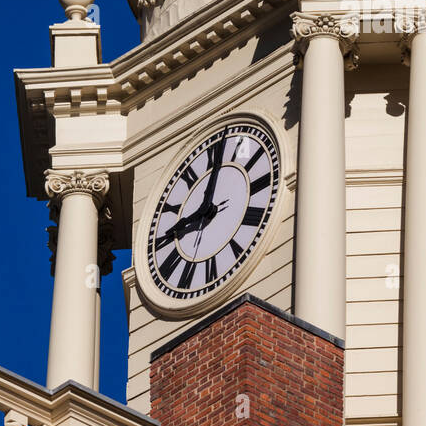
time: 9:01
